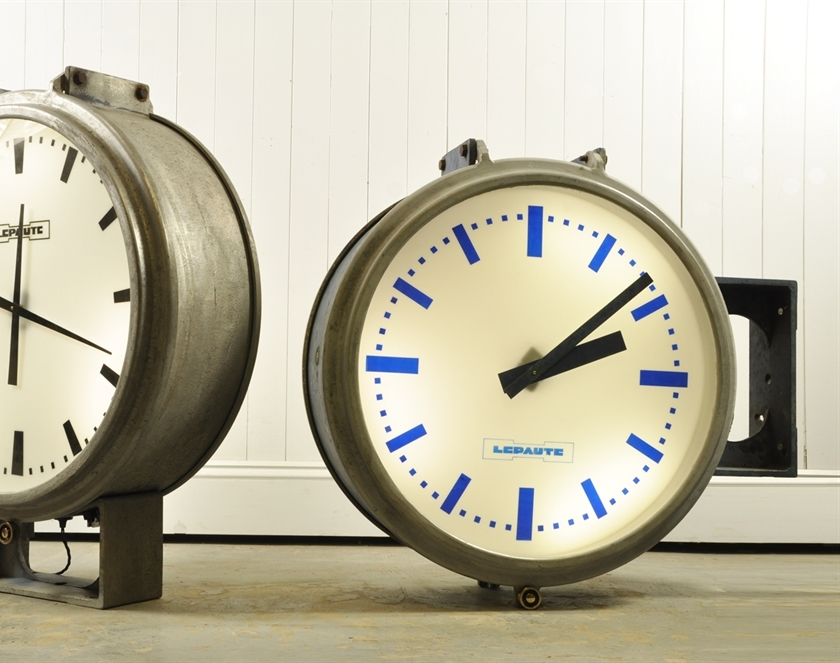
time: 2:08
